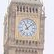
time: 11:07
